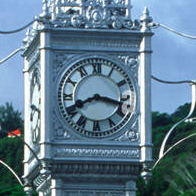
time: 8:17
